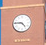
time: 4:45
